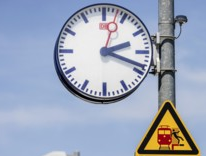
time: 2:18
